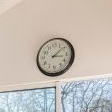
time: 3:08
